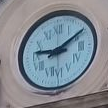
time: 9:09
